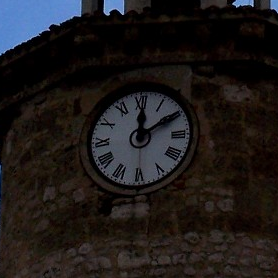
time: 12:09
